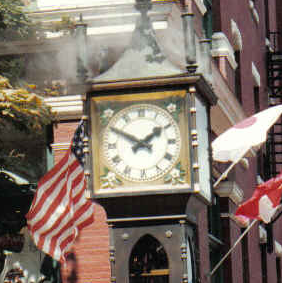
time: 1:50
